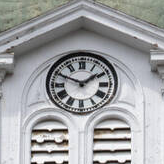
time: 1:49
